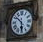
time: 5:51
